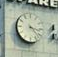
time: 3:22
